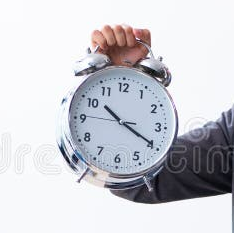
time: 10:19
